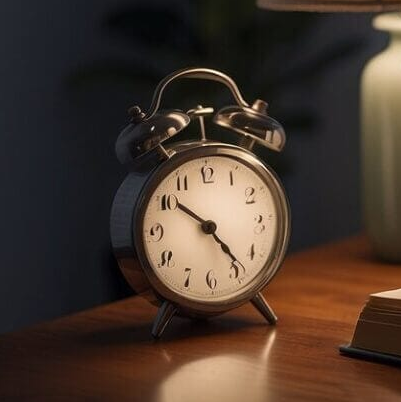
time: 10:23
